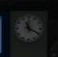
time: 11:19
